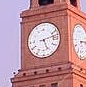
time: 5:12
